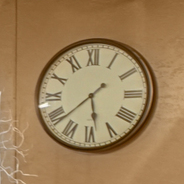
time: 5:38
